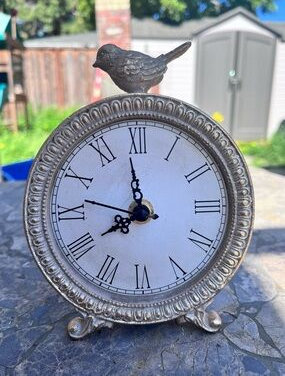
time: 7:58
